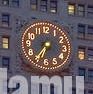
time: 6:35
